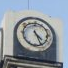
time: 4:26
